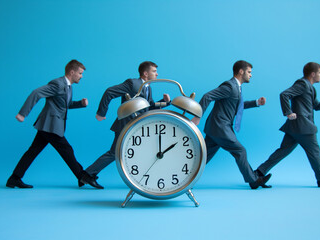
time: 2:00
